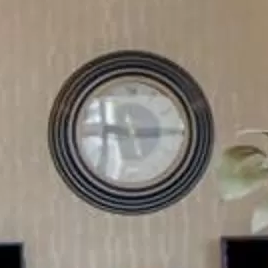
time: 9:14
